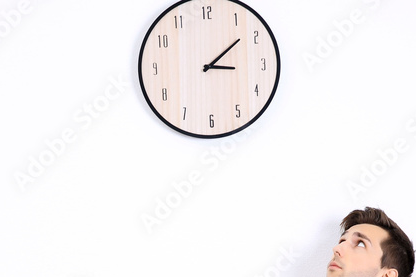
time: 3:08
